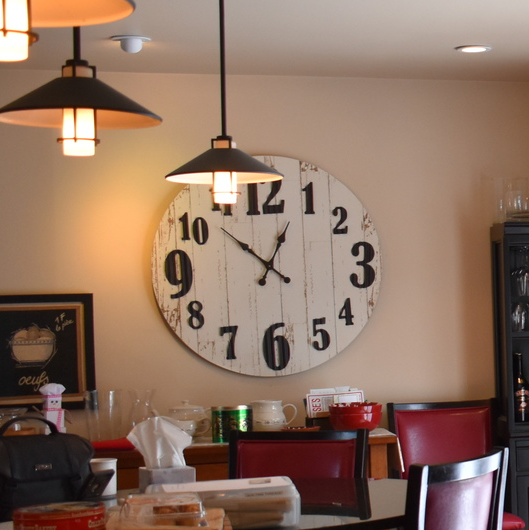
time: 12:52
